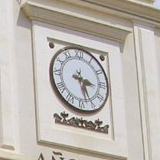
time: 3:27
